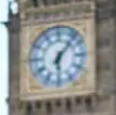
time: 6:06
